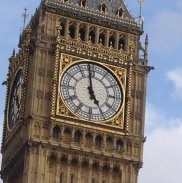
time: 4:58
